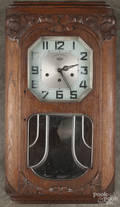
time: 2:24
